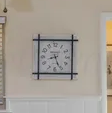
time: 8:26
